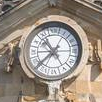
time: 10:38
